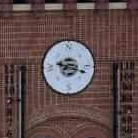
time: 9:18
